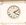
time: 4:10
